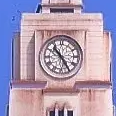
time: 10:24
